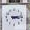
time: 3:13
